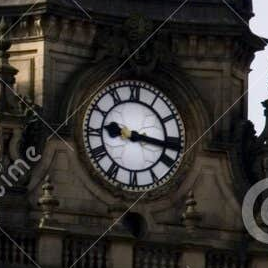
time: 9:16
